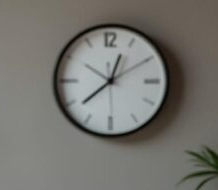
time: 12:38
